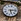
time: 5:13
